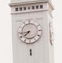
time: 7:43
